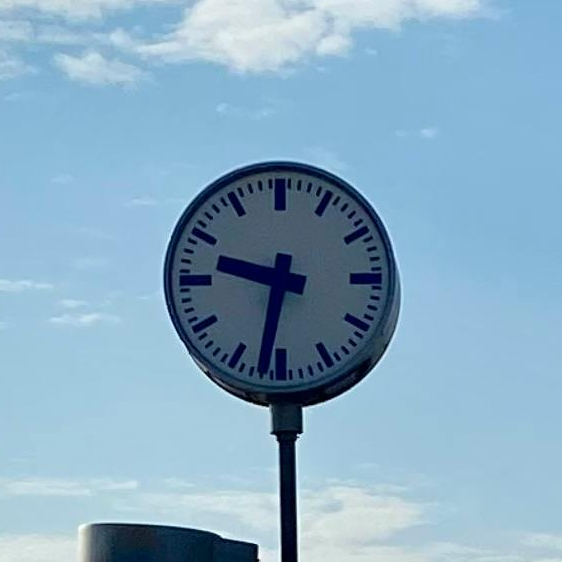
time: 9:32
